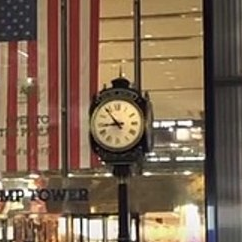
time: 8:53
